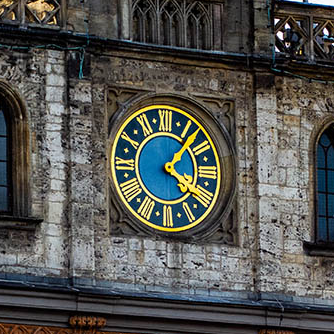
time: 4:07
